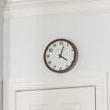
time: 4:02
